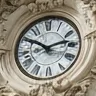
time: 10:12
